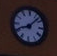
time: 8:07
